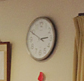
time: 2:49
